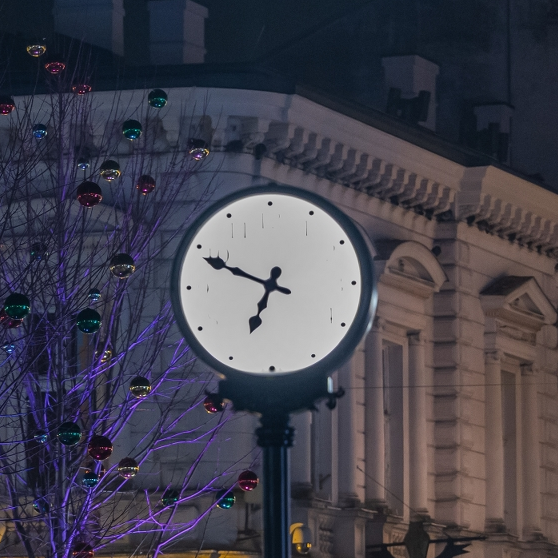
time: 6:49
